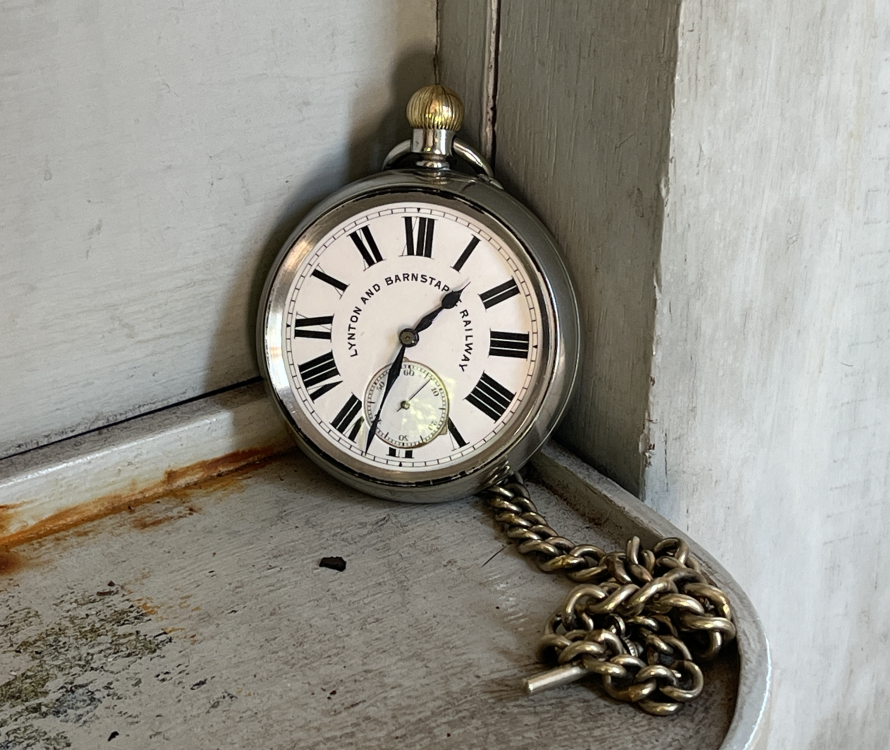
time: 1:32
